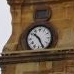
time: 10:25
